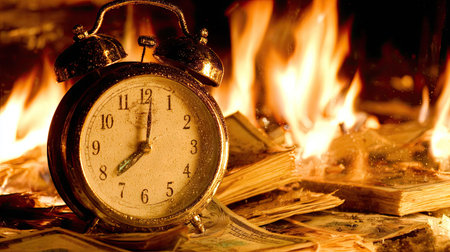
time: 8:01
